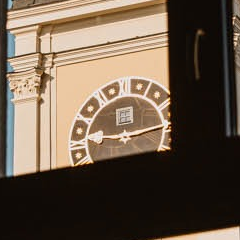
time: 9:13
